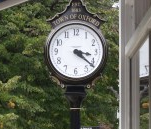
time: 3:21
